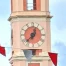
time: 12:37
